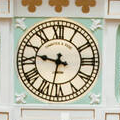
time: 9:32
